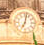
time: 7:02
